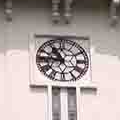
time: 10:46
